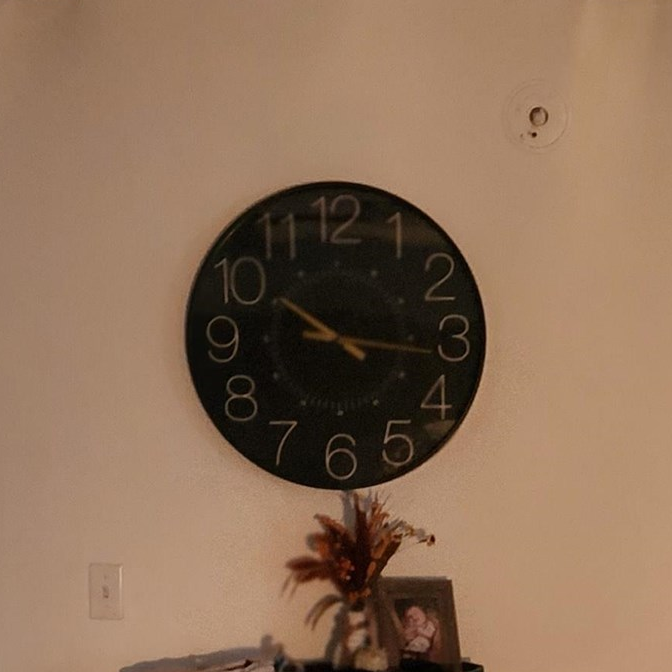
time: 10:16
